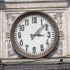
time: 3:07
